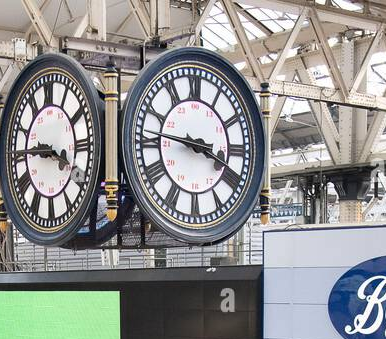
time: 3:46
